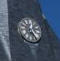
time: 12:24
